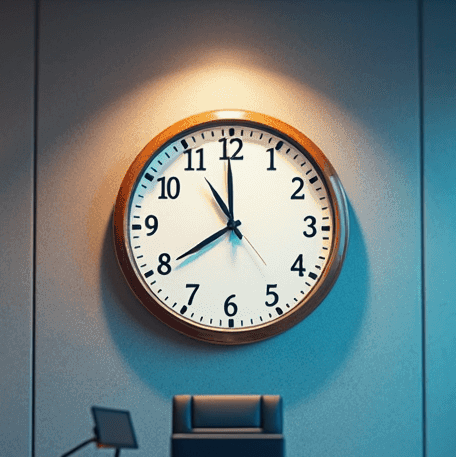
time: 7:59
